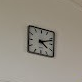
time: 4:11
